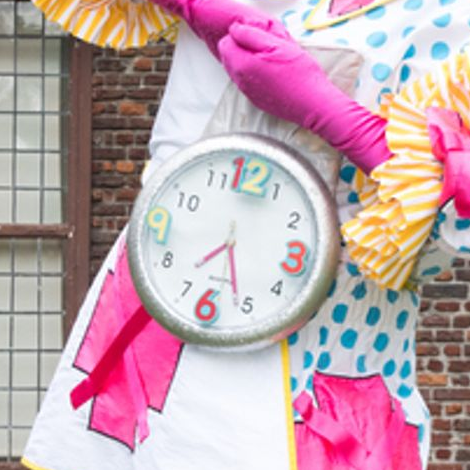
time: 7:26
